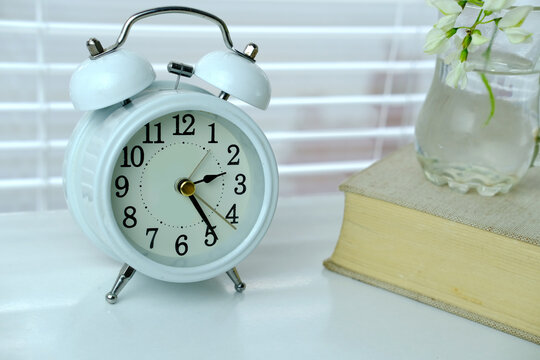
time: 2:24
